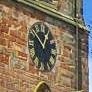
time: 12:52
